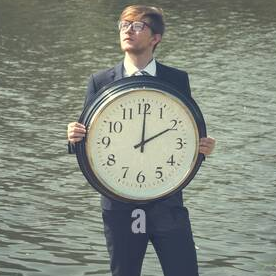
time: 2:00
